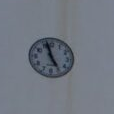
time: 4:57
